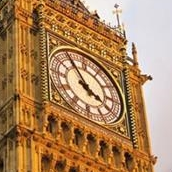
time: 3:54
